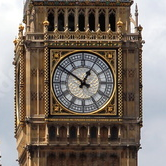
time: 12:51
